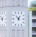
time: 12:52
